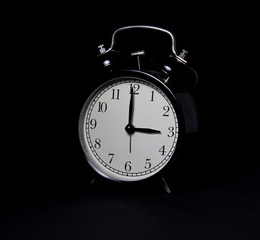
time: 2:59
